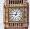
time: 12:45
